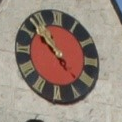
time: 10:52
